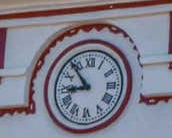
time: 8:53
